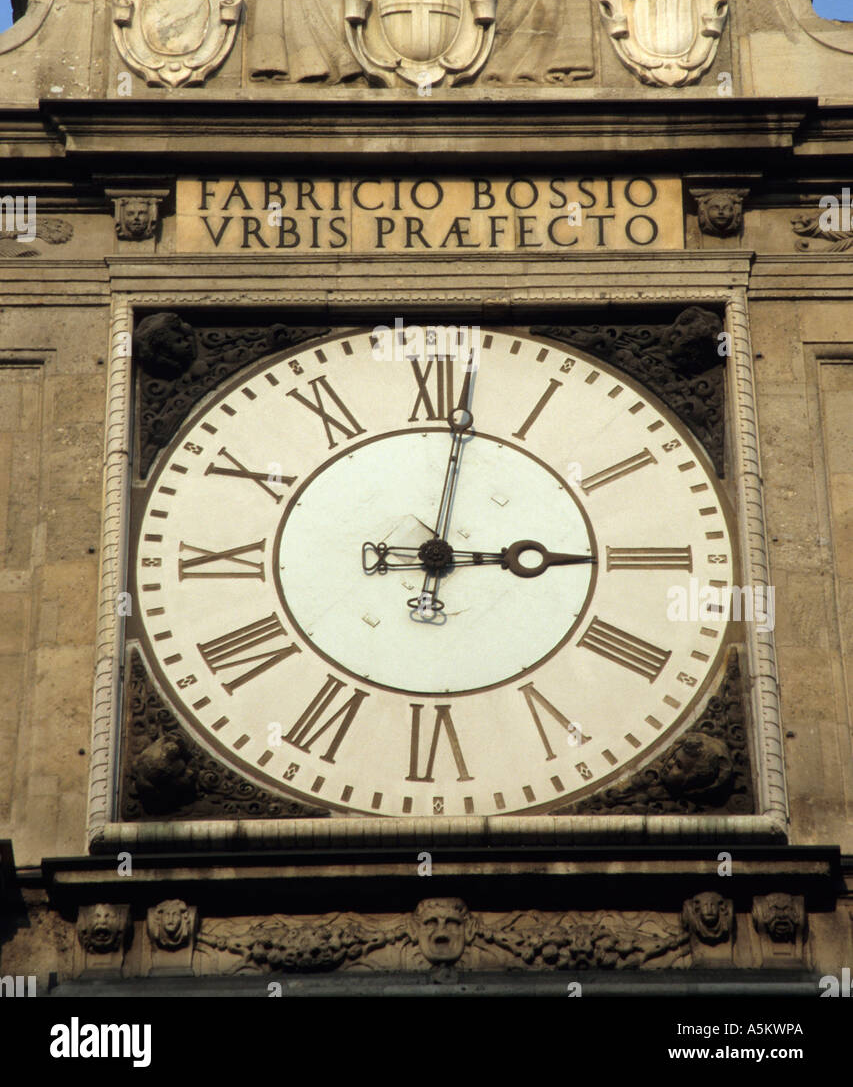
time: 3:01
